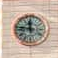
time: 11:46
